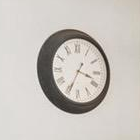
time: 3:34
